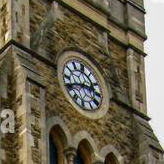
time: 2:40
